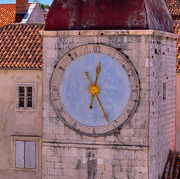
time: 12:25
